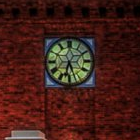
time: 6:26
